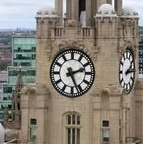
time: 2:26
